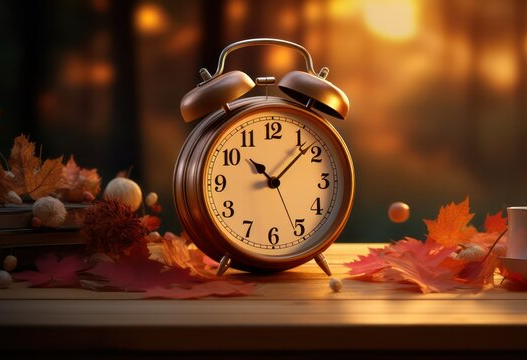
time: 10:07
